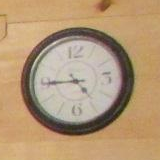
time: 4:44
